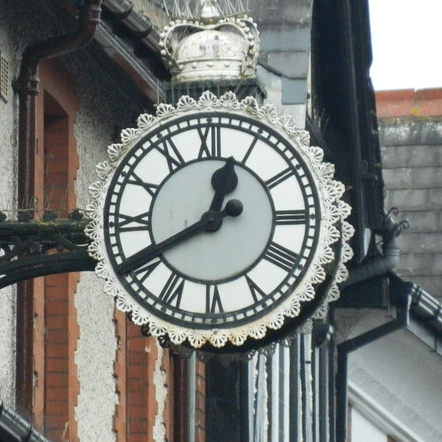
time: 12:40
